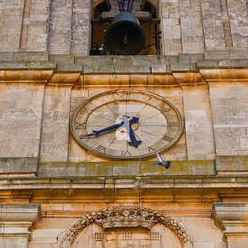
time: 5:40
